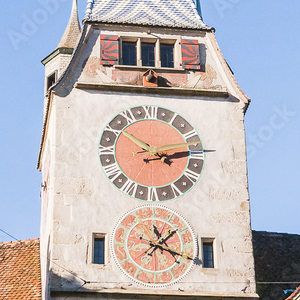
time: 2:50
